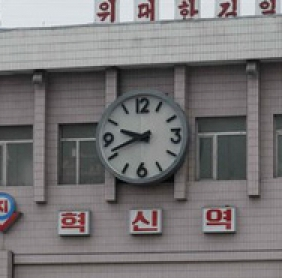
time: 9:41
